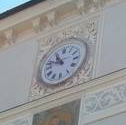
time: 10:47
